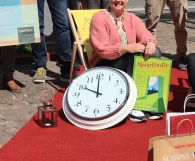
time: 10:00
